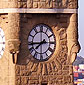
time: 7:44
